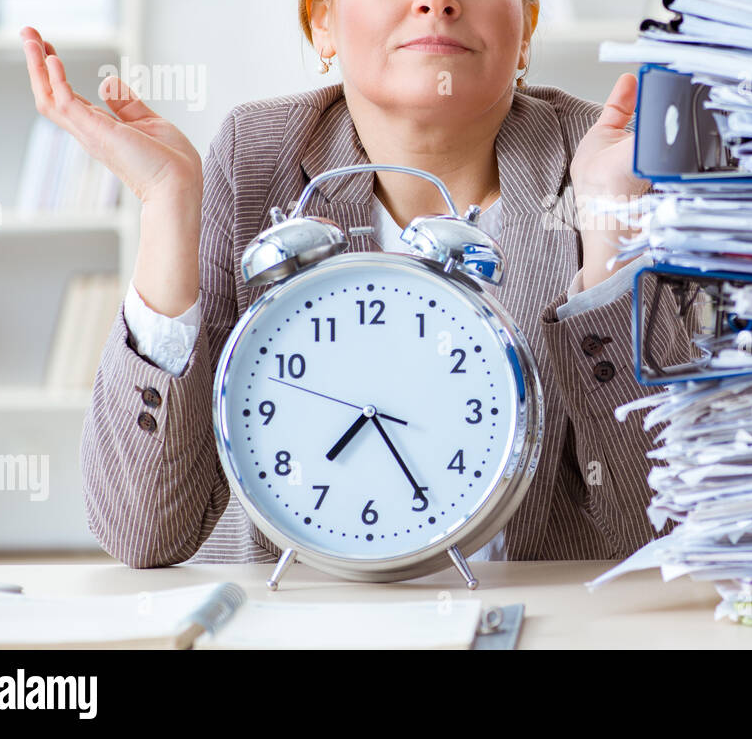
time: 7:24
